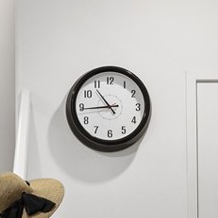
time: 10:44
